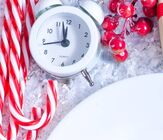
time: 11:57
